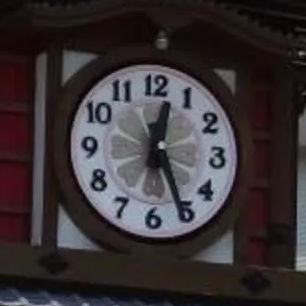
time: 12:25
